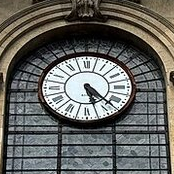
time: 5:22
